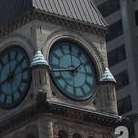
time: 1:42
